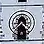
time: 4:37
